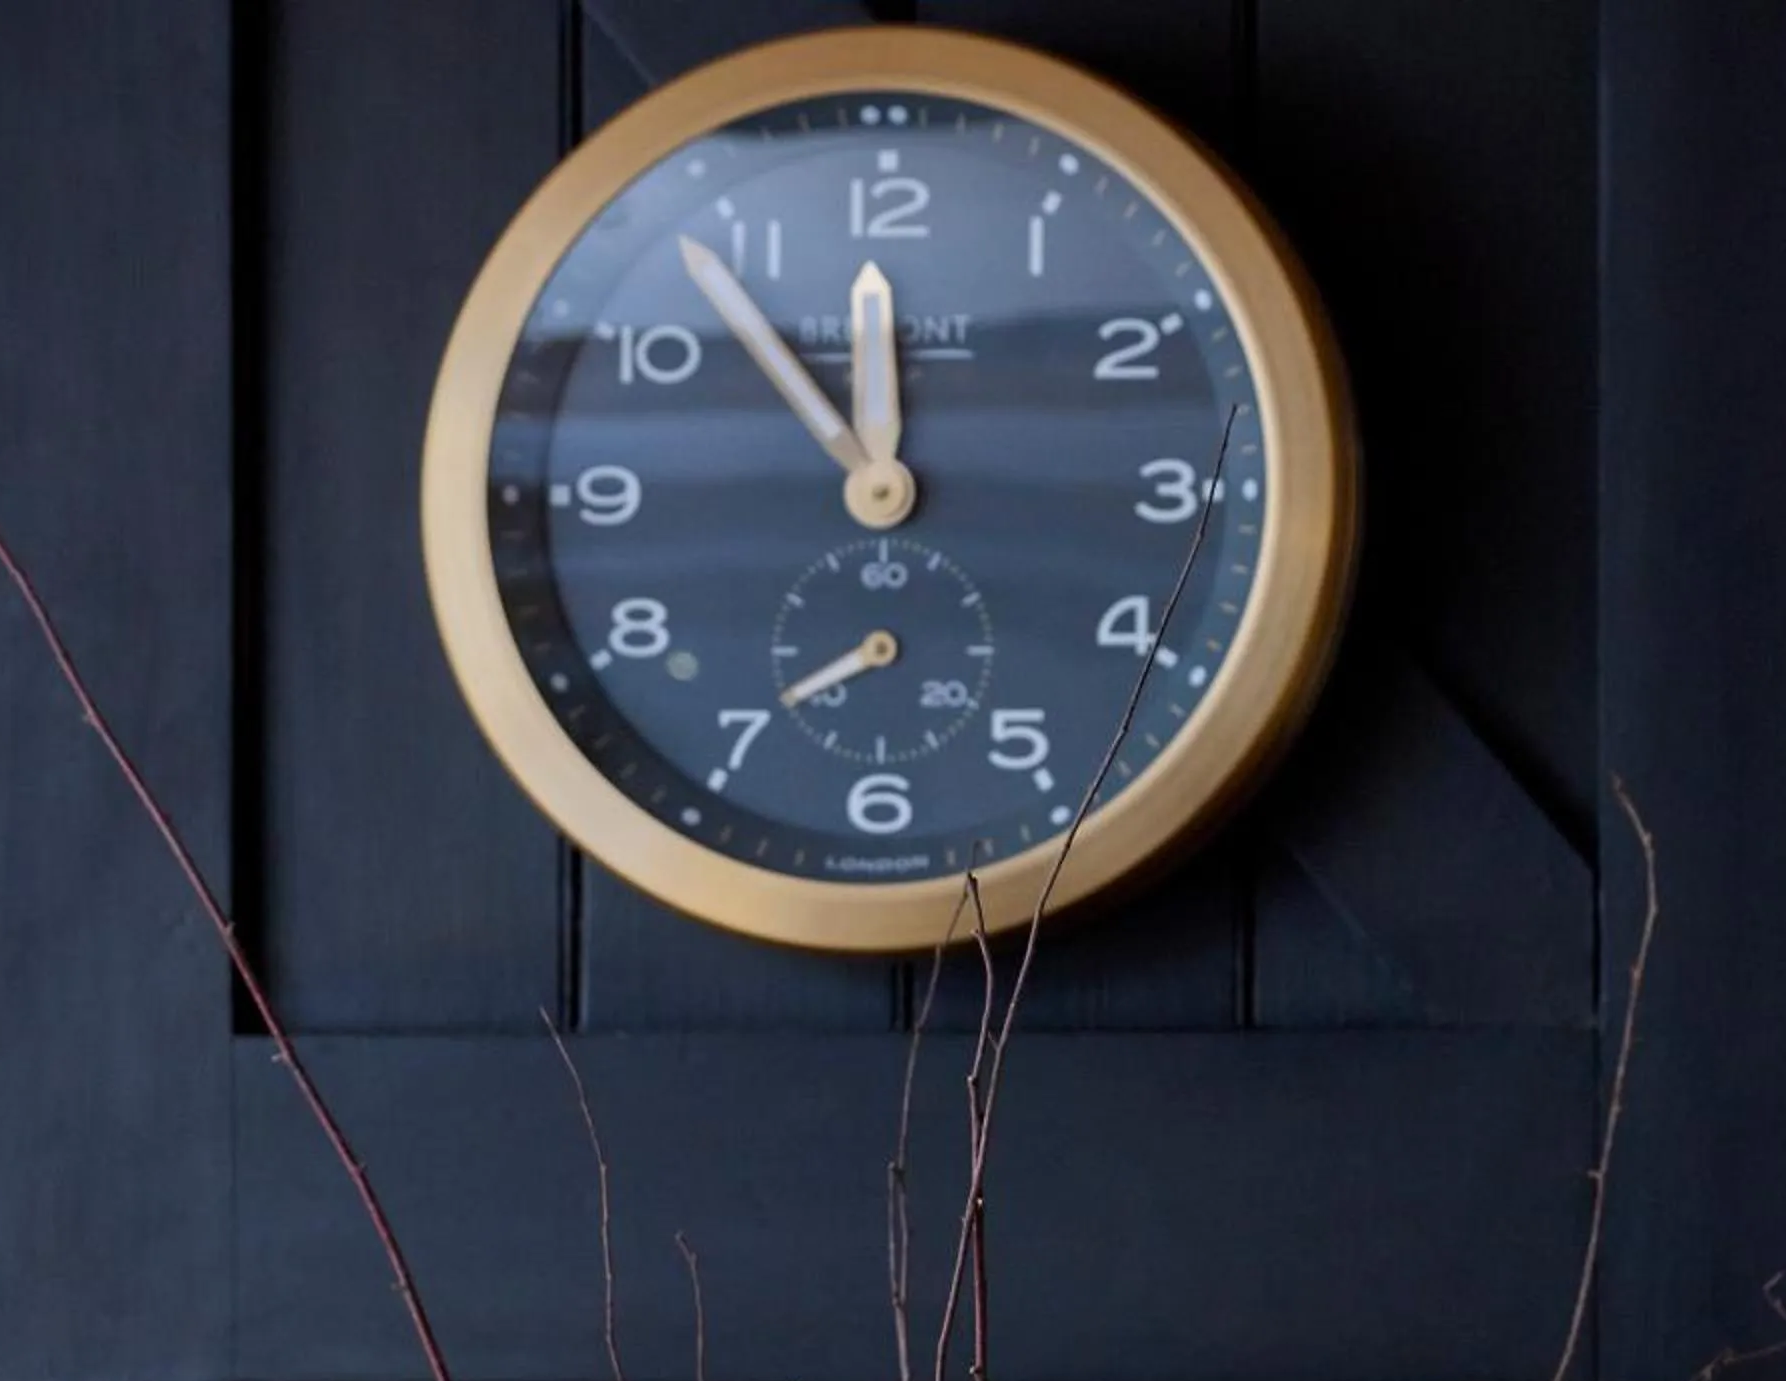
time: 11:53
